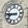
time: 8:46
